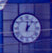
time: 1:01
